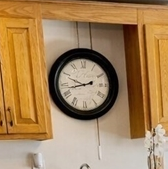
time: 9:42
